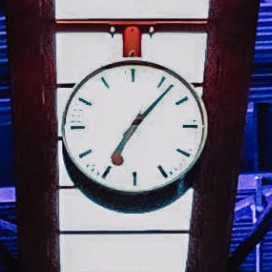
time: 7:07
